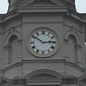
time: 2:51
